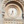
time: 5:34
